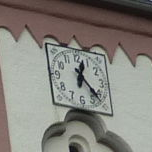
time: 12:22
